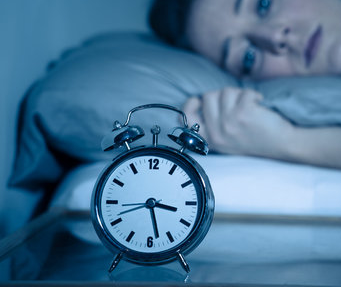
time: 3:27
